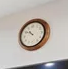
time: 10:50
